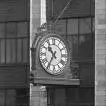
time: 10:35
